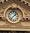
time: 1:37
